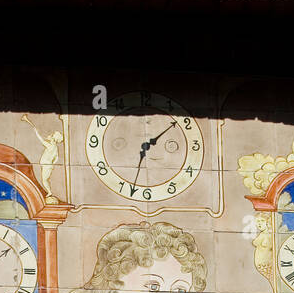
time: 1:33
